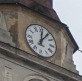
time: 12:05
